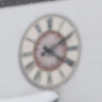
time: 4:10
